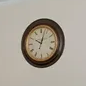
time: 10:02
